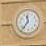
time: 11:36
